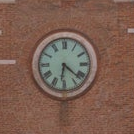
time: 6:21
